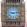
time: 9:13
